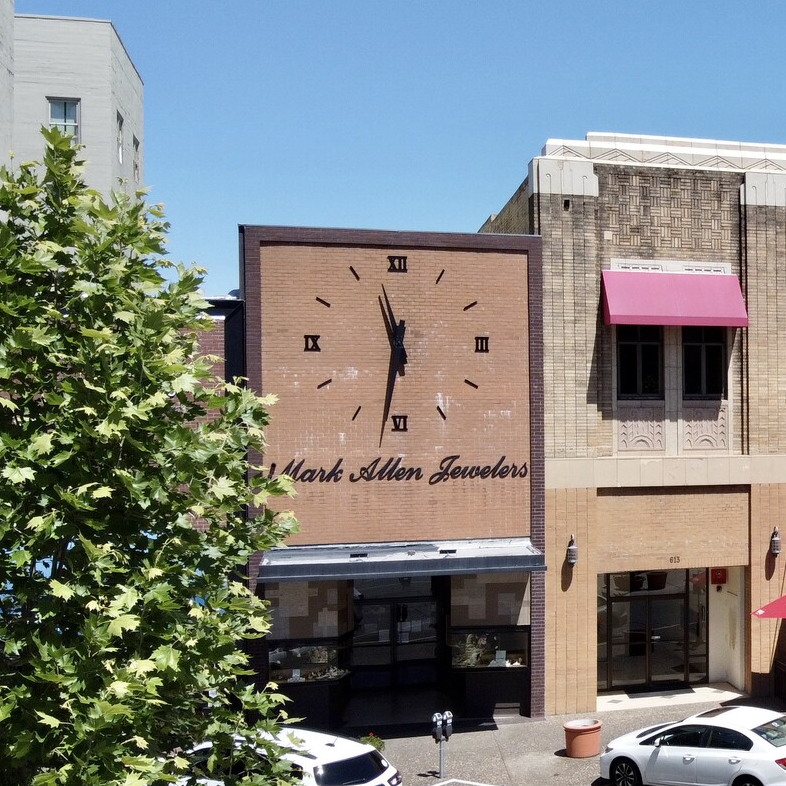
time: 11:32
